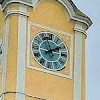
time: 1:56
